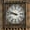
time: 9:47
